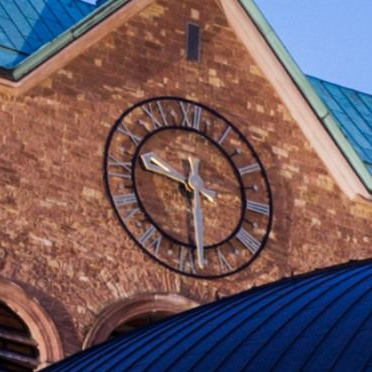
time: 9:30
